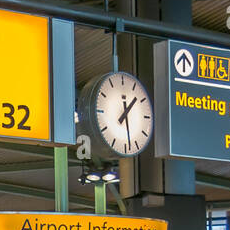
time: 1:28
